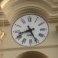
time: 8:25
